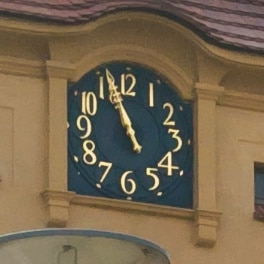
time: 10:56
